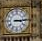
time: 3:14
